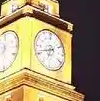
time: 6:41
